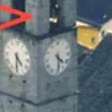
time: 4:29
